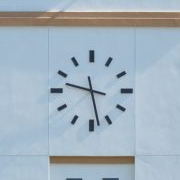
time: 9:28
